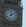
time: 12:09
